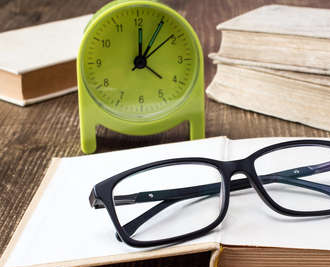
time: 12:05
